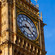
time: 8:21
